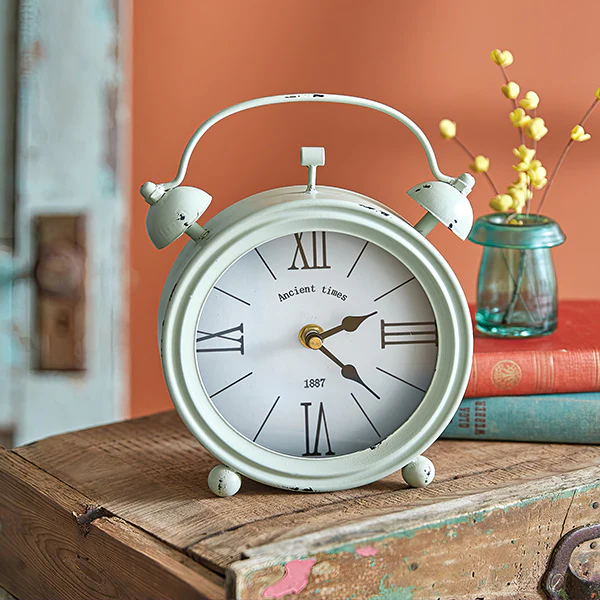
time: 2:22
